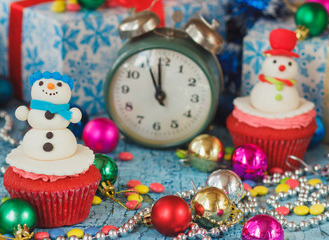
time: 10:59
